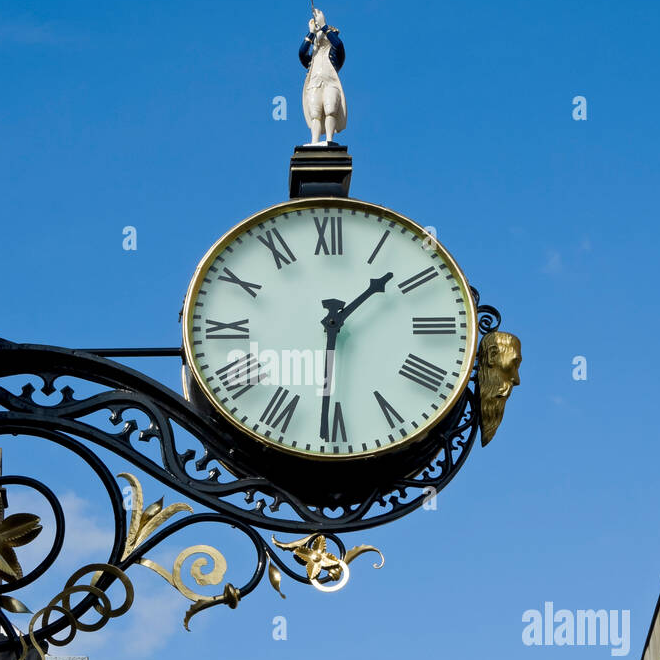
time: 1:30
